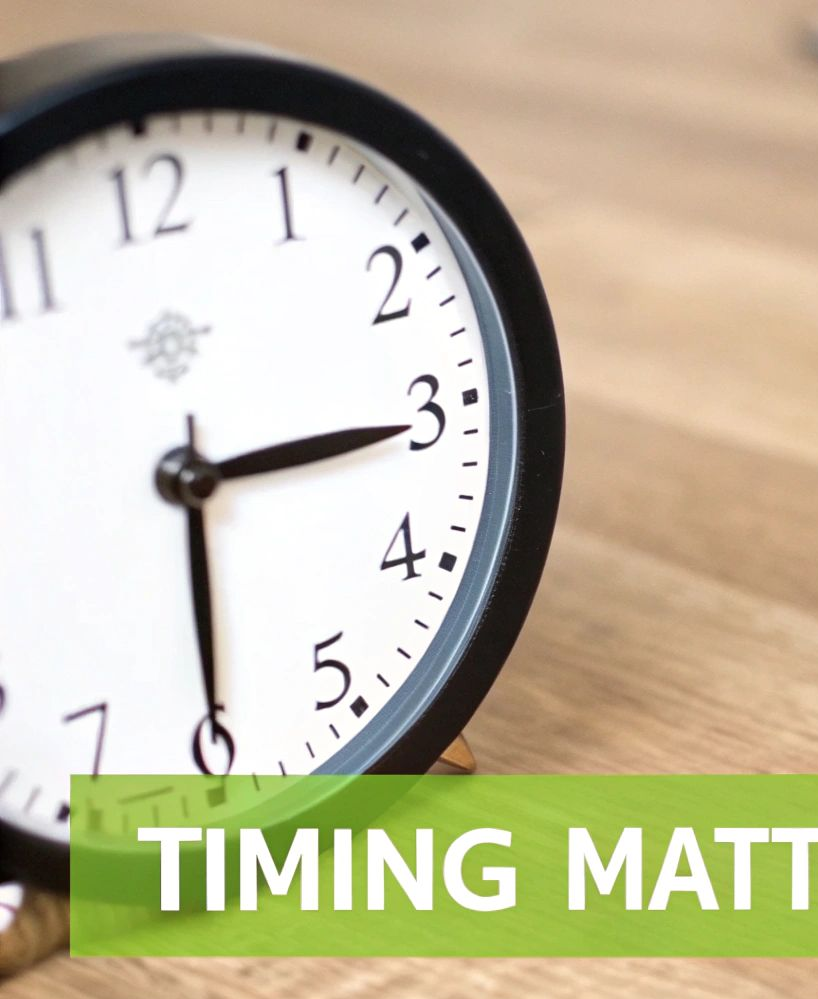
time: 6:15
